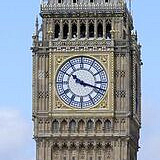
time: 10:17
